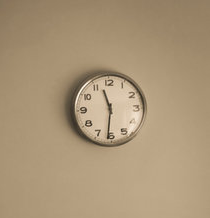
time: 11:31
